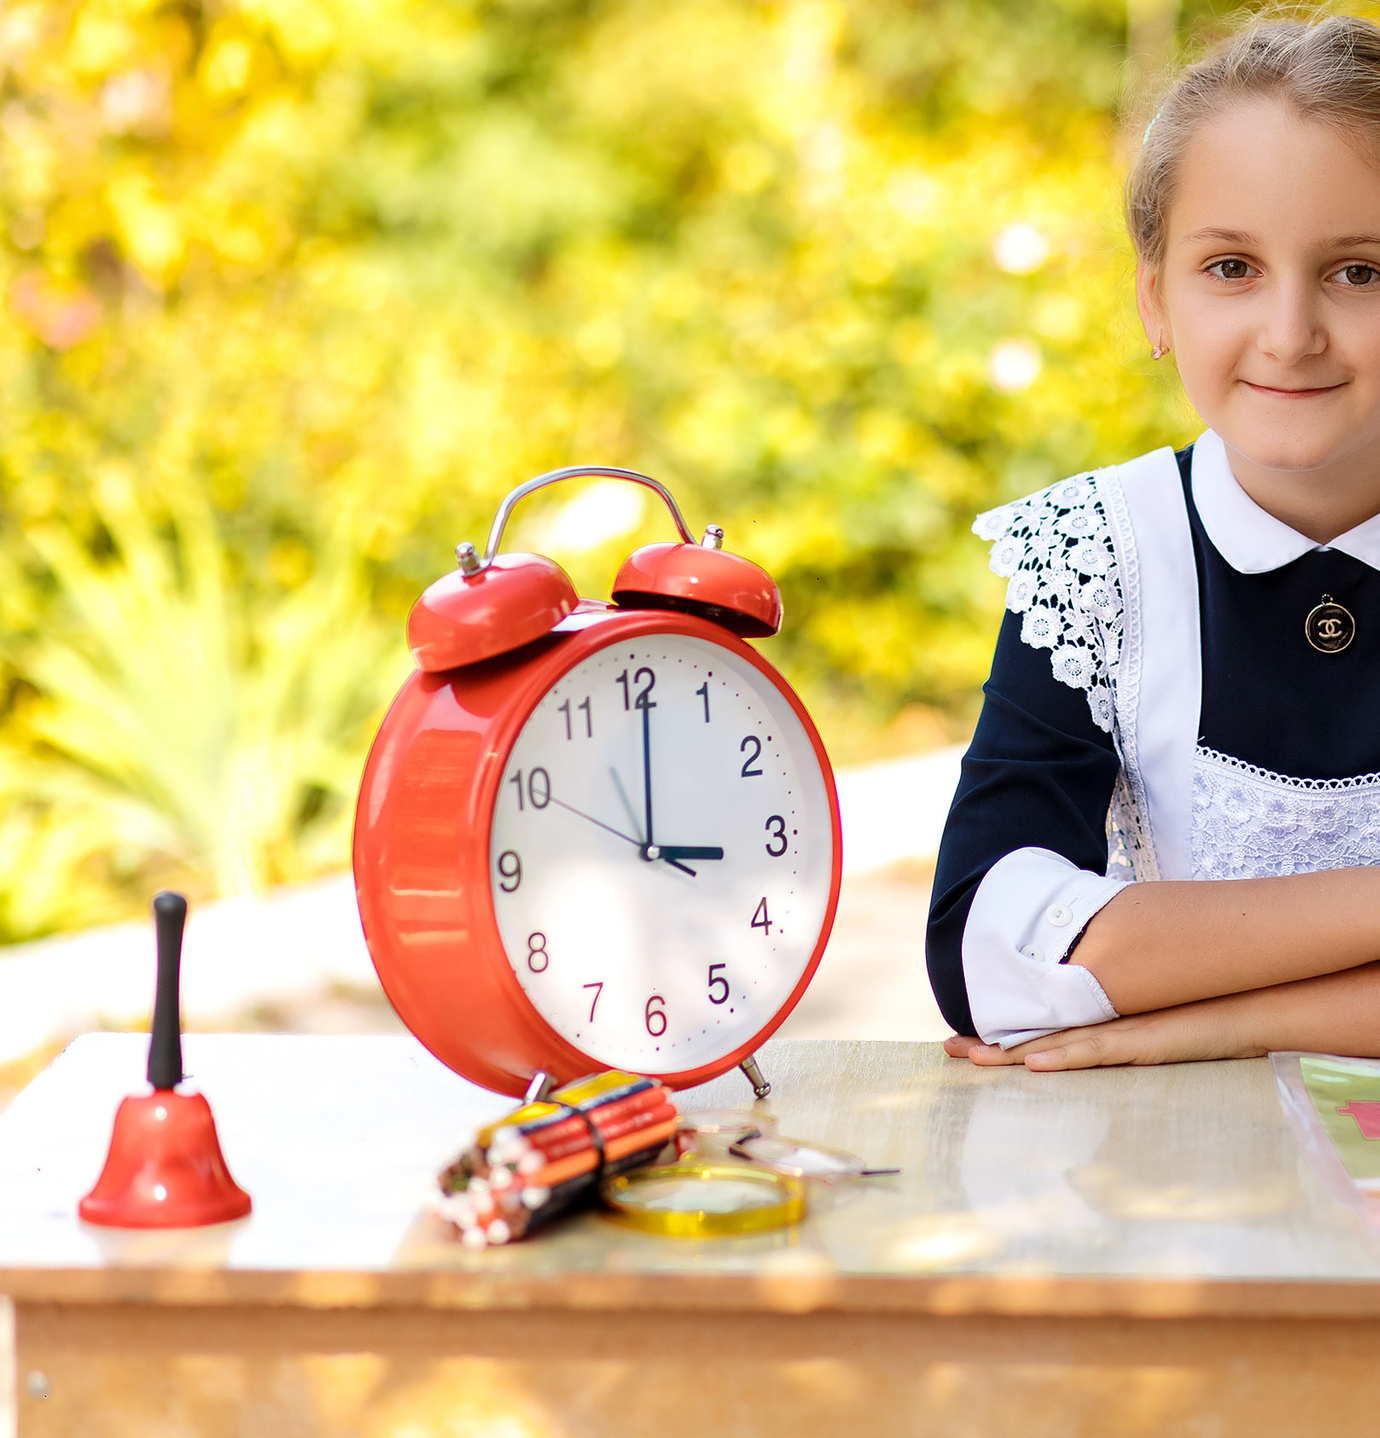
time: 3:00
